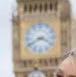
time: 3:40
